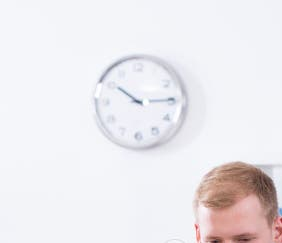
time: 10:14
